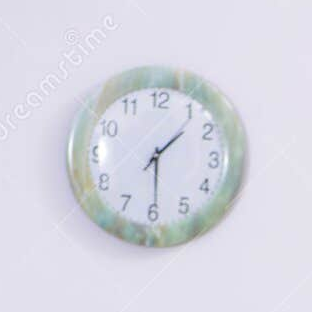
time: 1:29
